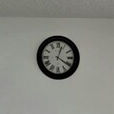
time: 4:03
